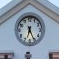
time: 6:25
